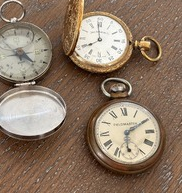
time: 6:10
